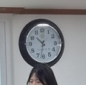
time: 10:32
